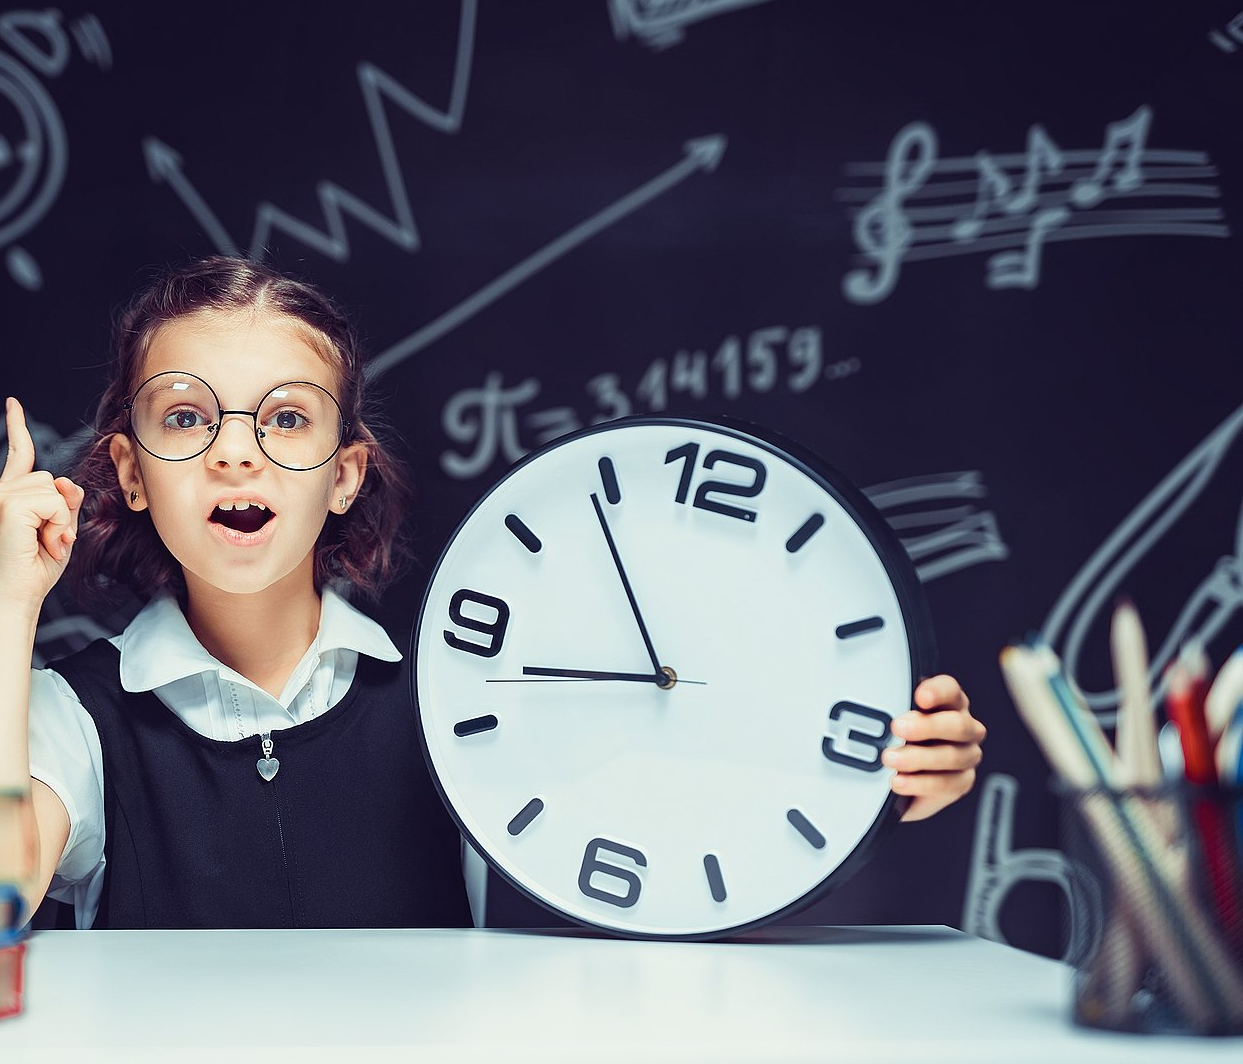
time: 8:54
